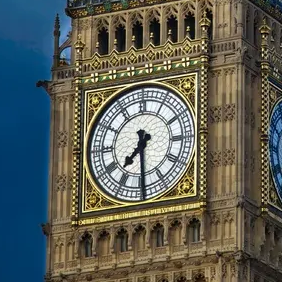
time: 7:29
